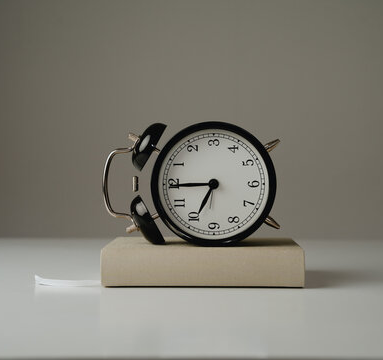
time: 6:44
